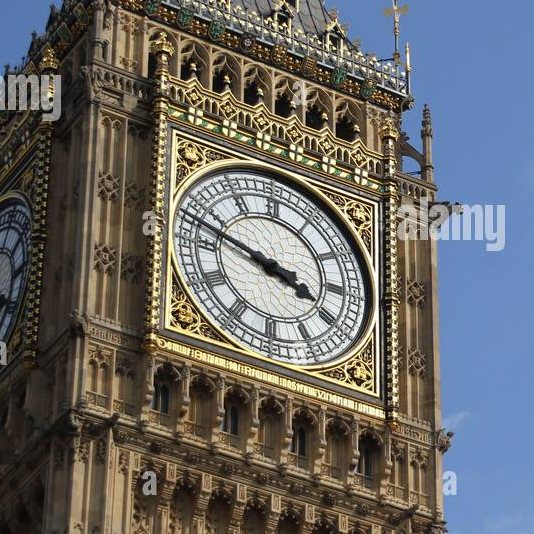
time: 3:47
